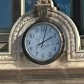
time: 2:02
